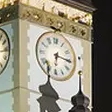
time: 6:15
